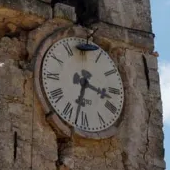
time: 3:32
